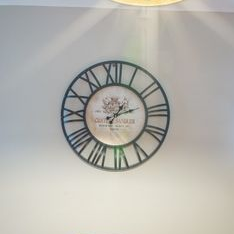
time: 1:13
